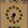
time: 7:32
